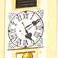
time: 5:09
